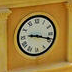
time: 9:18
